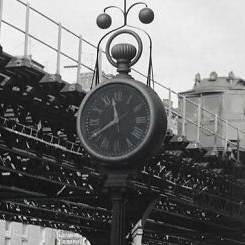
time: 11:39
